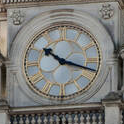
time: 10:17
